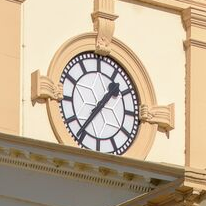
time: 1:36
